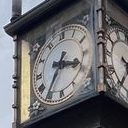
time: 3:35
